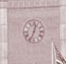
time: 12:33
